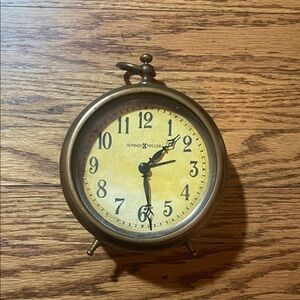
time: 1:28
